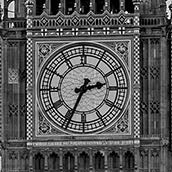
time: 2:34
